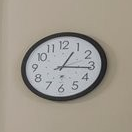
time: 1:15
